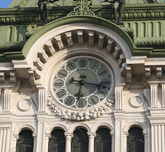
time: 6:16
